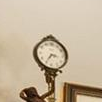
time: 3:35
